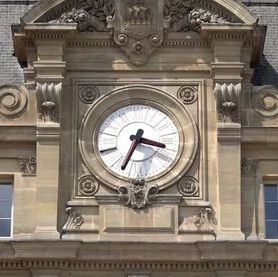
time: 3:34
